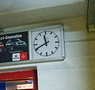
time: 11:40
